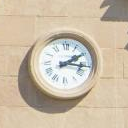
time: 2:16
